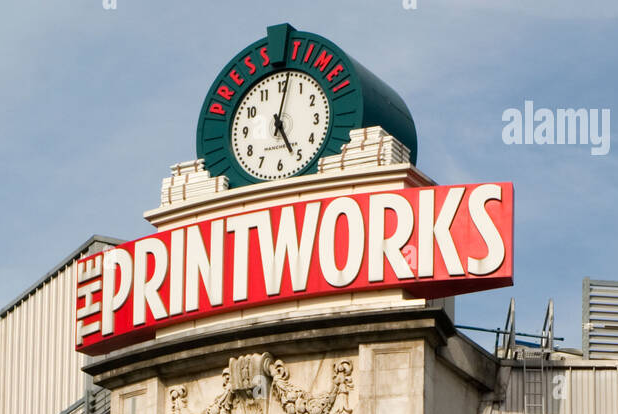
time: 5:01
